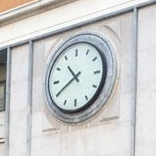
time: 10:40
